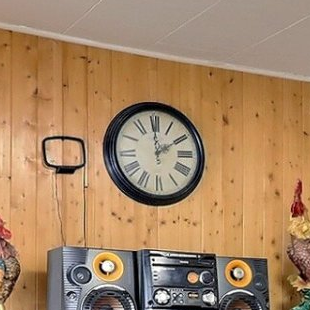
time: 1:59
